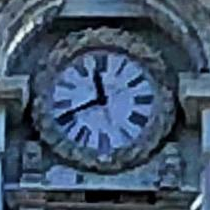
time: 11:40
